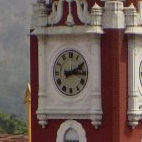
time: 2:15
